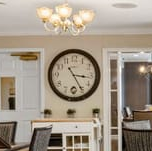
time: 3:25
